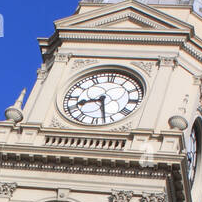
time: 8:27
